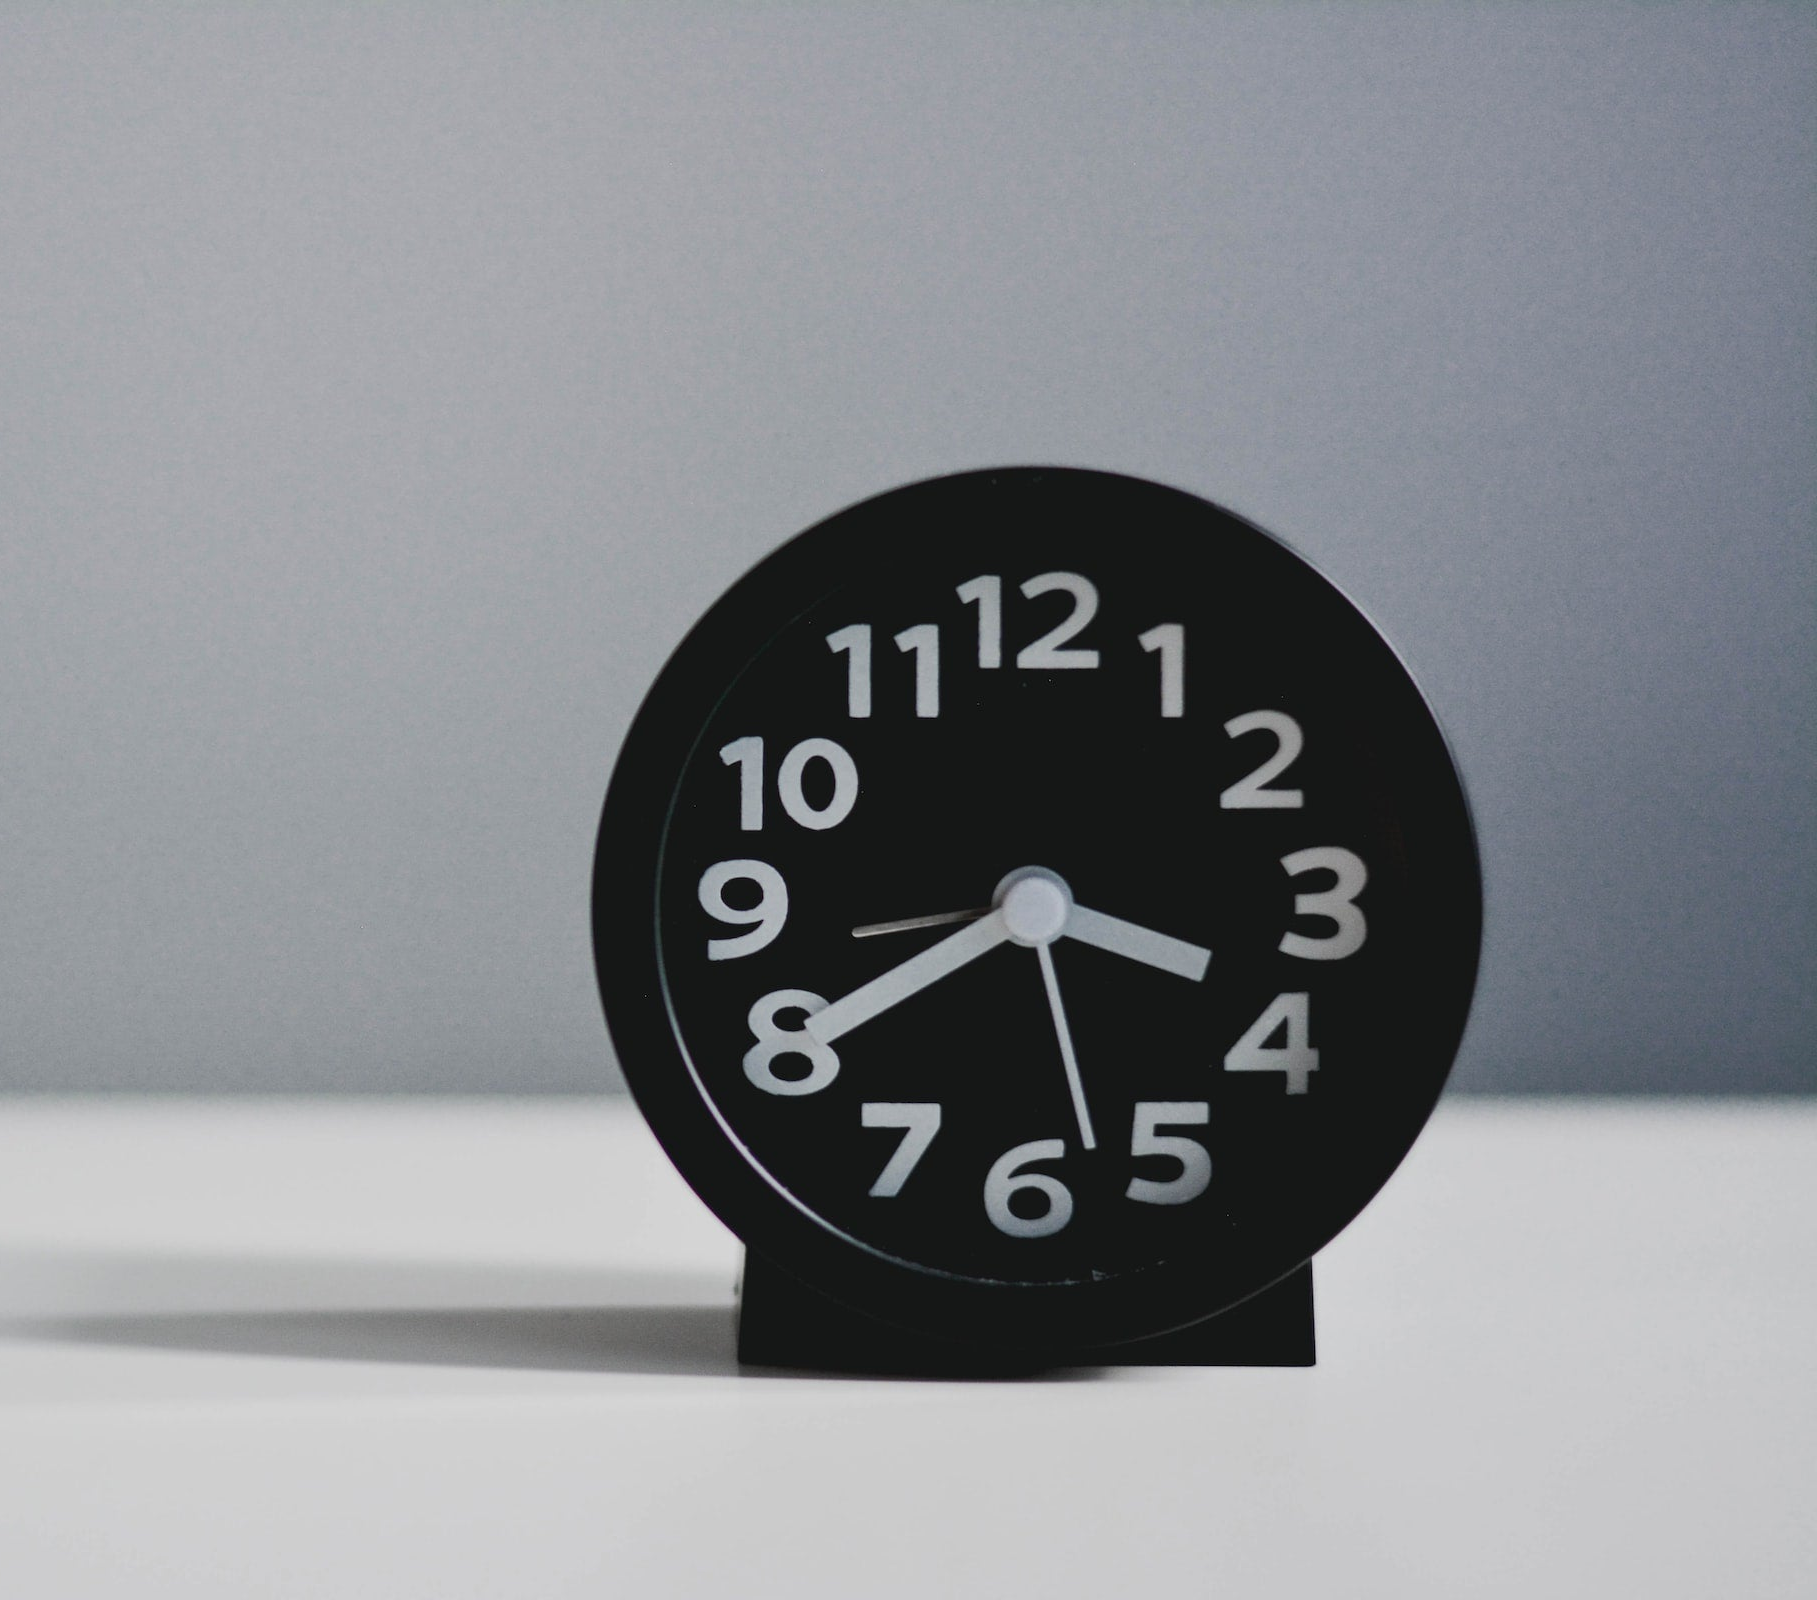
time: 3:39
